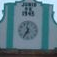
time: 11:35
